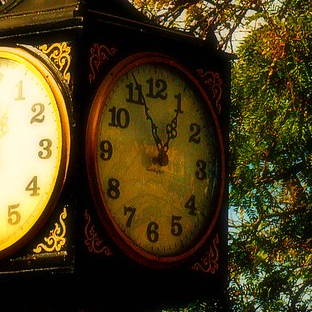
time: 12:56
